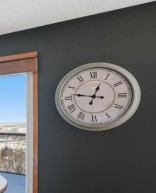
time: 12:46
